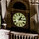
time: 1:16
